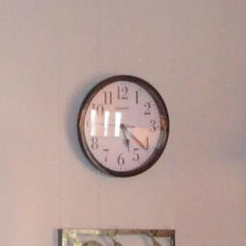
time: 5:21
